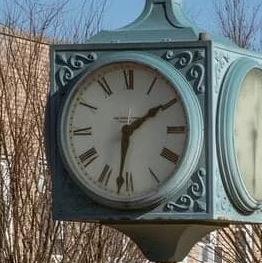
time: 1:31
